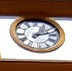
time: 1:12
